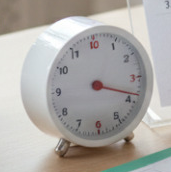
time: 3:18
